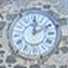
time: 12:10
